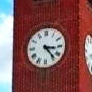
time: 3:23
